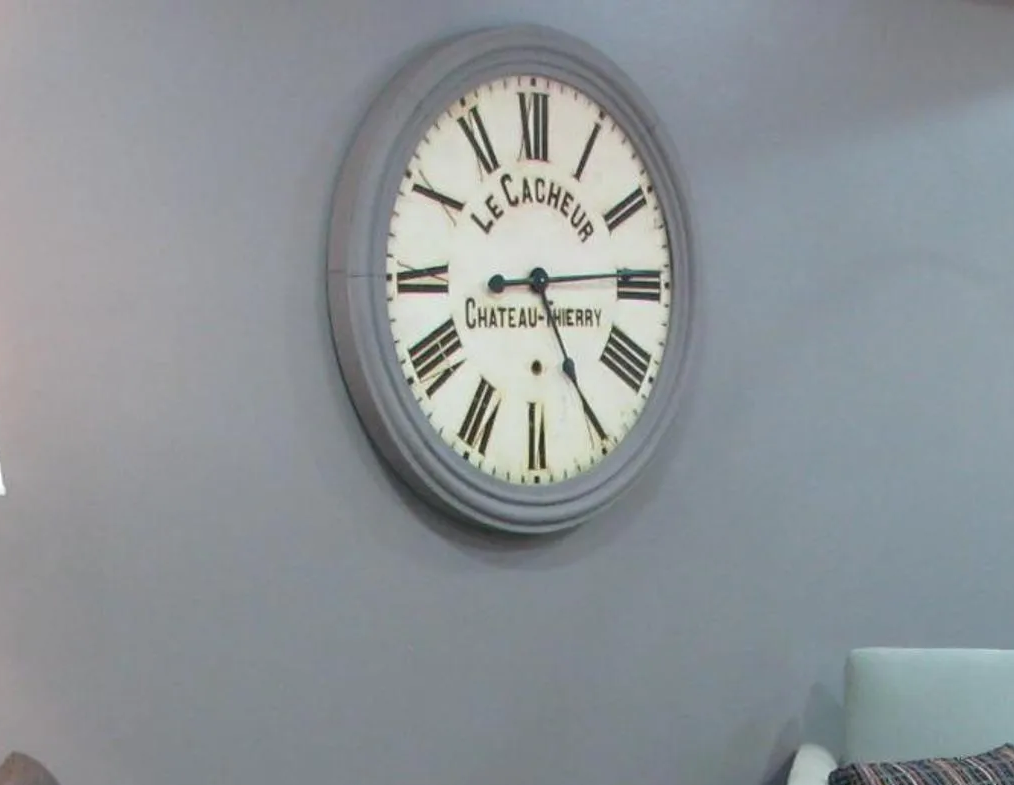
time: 5:14
